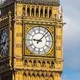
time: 9:07
